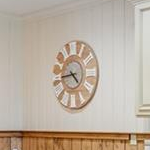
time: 4:44
